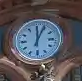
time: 12:04
